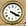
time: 4:19
